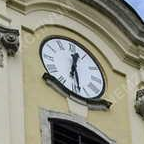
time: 12:28
